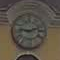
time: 9:12
